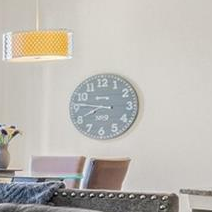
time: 7:46
